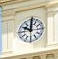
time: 10:00
